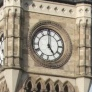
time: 5:00
